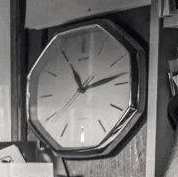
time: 11:13
